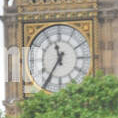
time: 11:35
